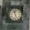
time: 11:25
